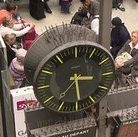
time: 3:29
